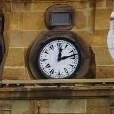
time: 12:12
